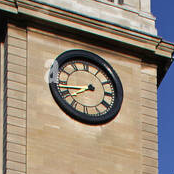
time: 7:42
